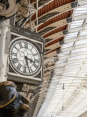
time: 3:27
